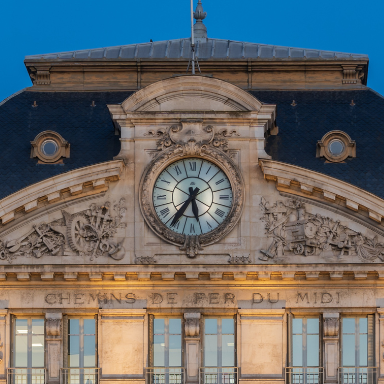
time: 5:35
